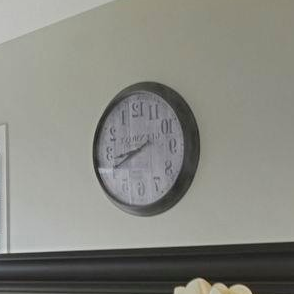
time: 8:40
